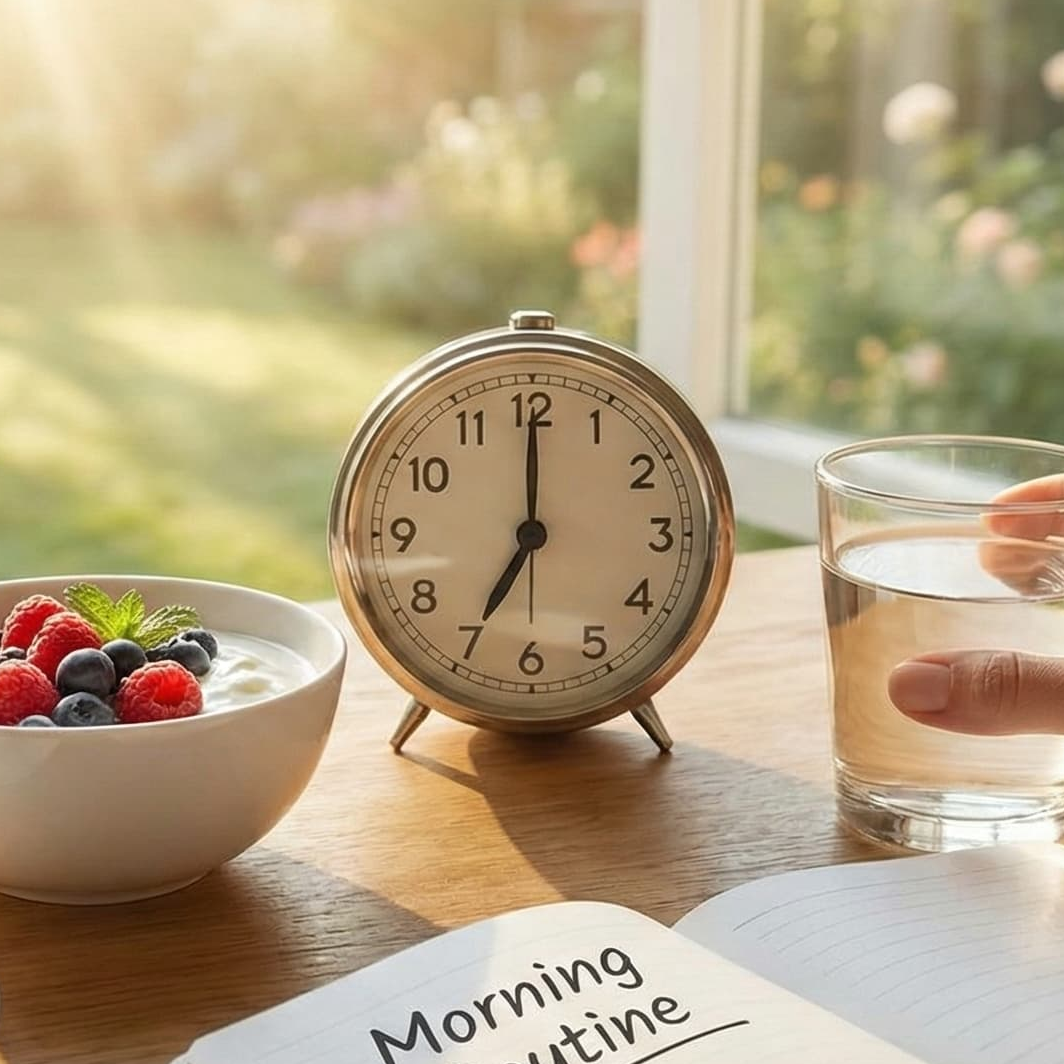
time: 7:00
